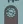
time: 3:47
